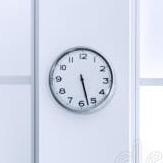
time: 5:27
